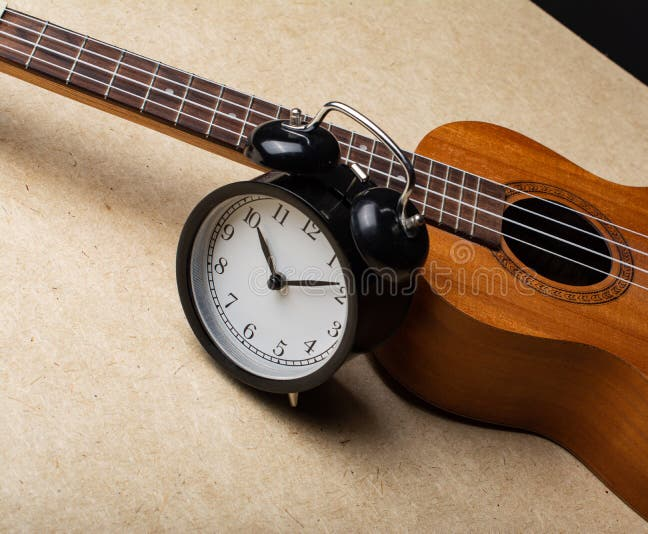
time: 11:13
